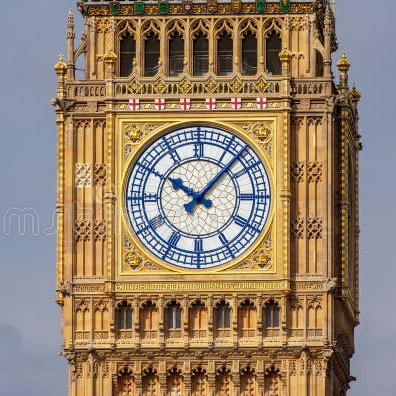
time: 10:07
